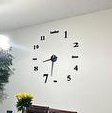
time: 8:32
